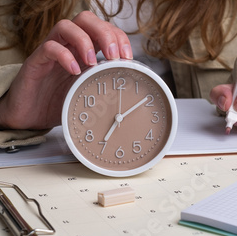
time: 7:09
